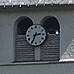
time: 2:34
